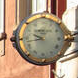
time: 9:42
